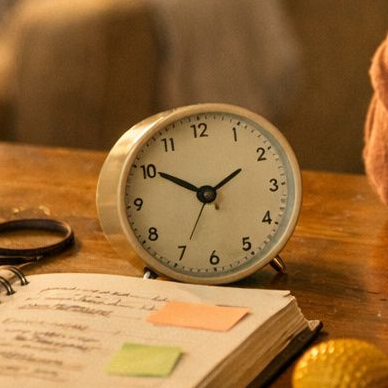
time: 1:50
